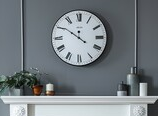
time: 11:50
